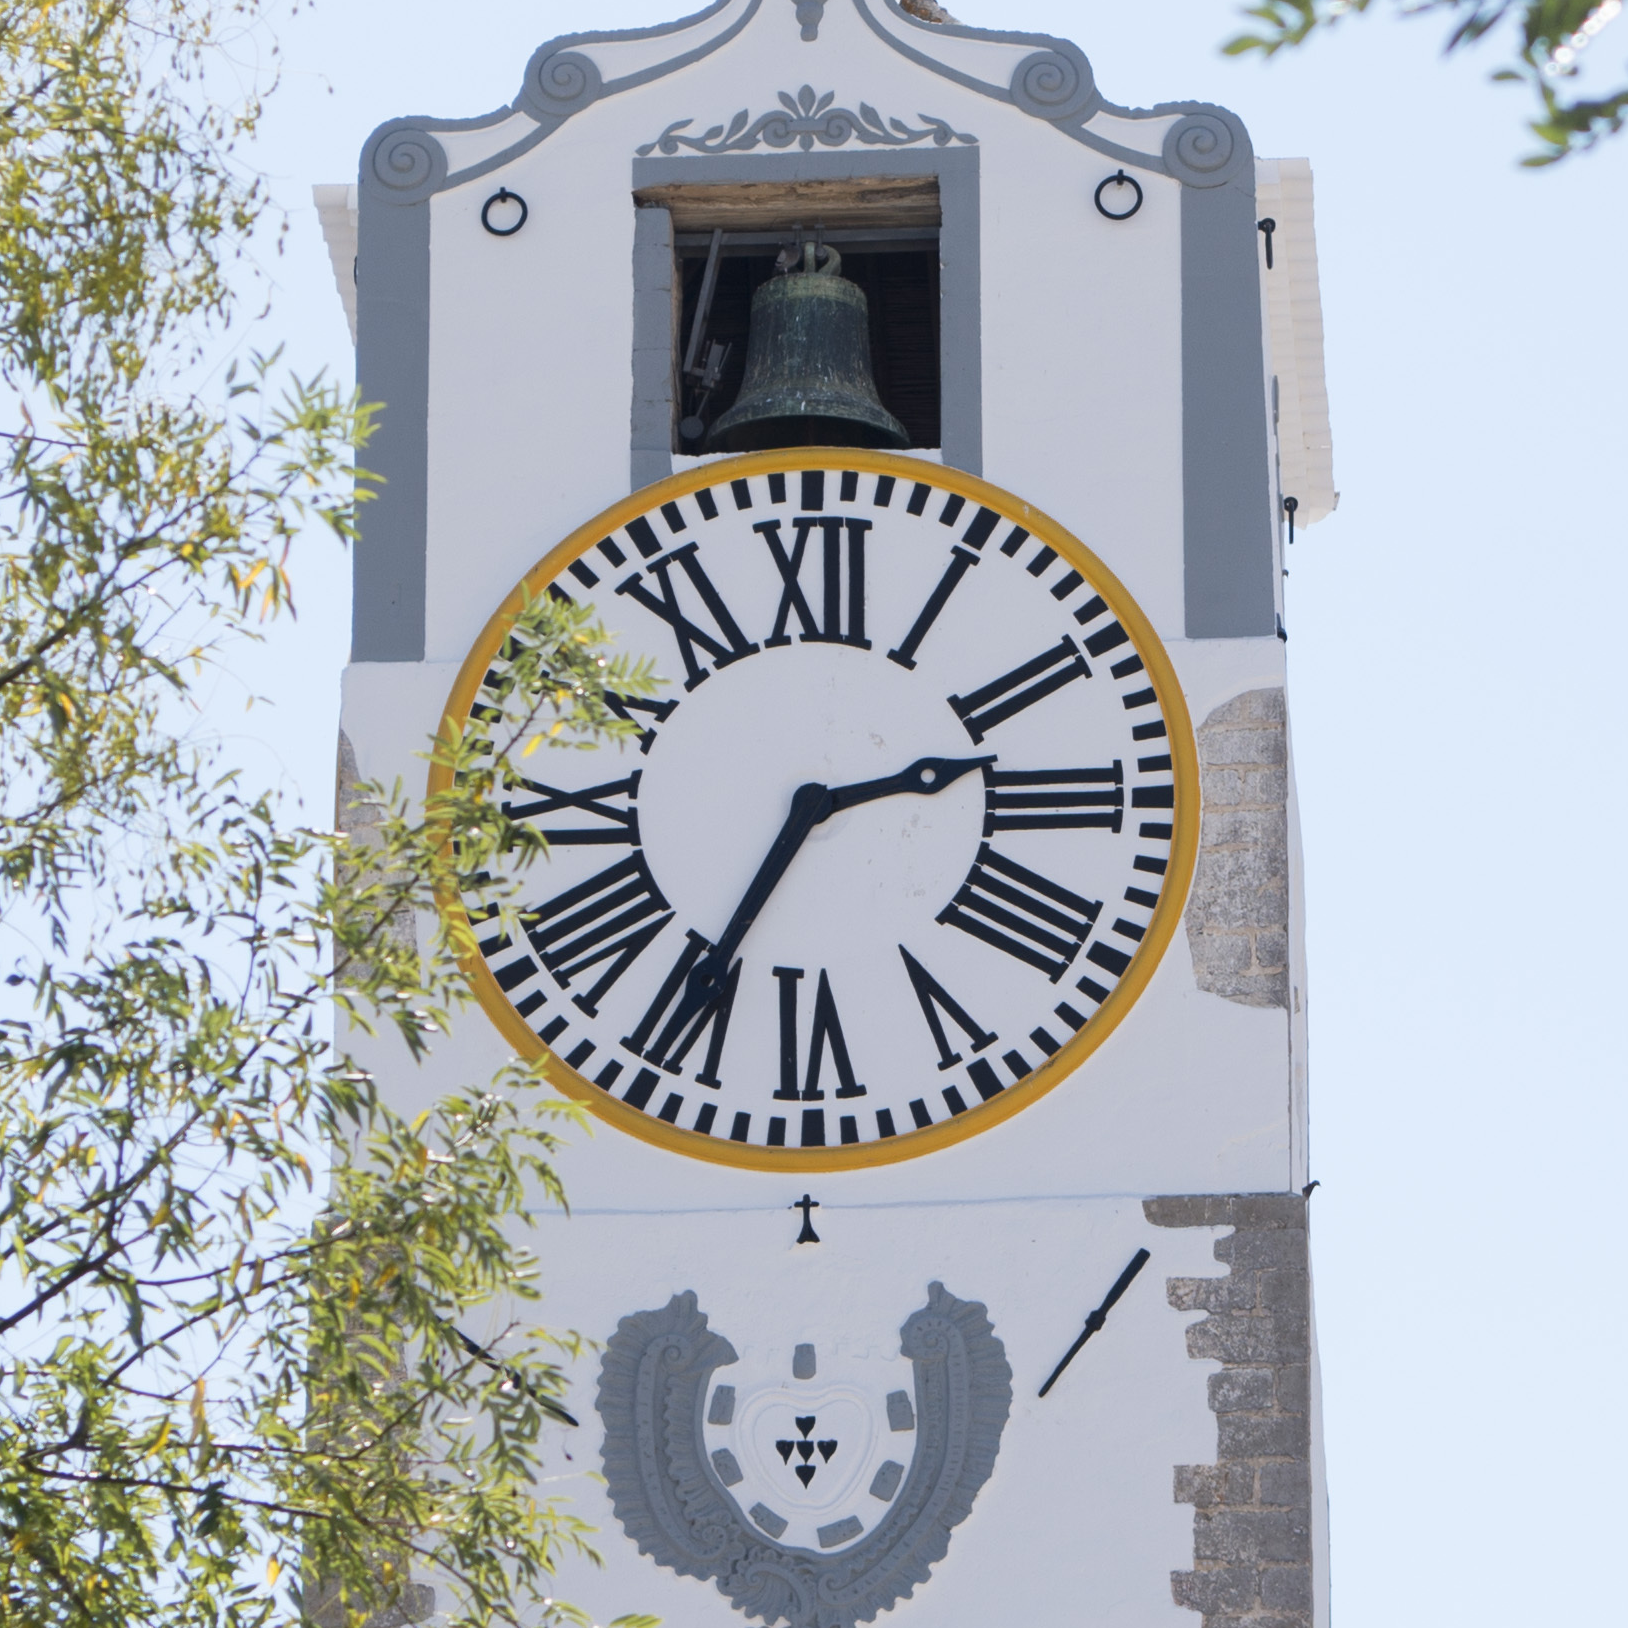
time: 2:34
